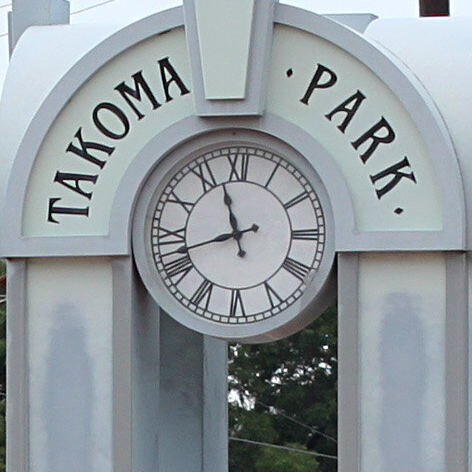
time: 11:42
